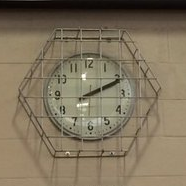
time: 2:11
